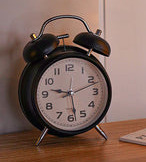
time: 9:28
